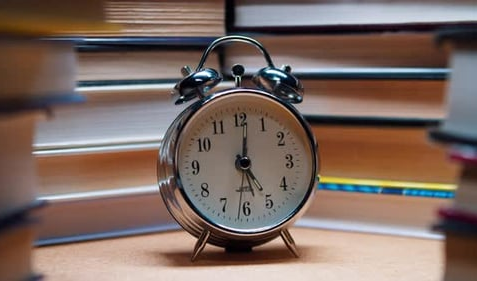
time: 5:01
